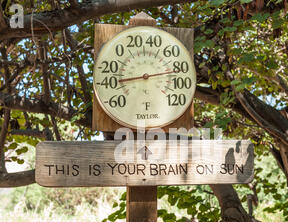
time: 8:12
